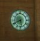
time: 5:40
